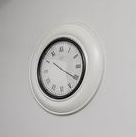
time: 10:20
